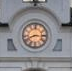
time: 8:15
